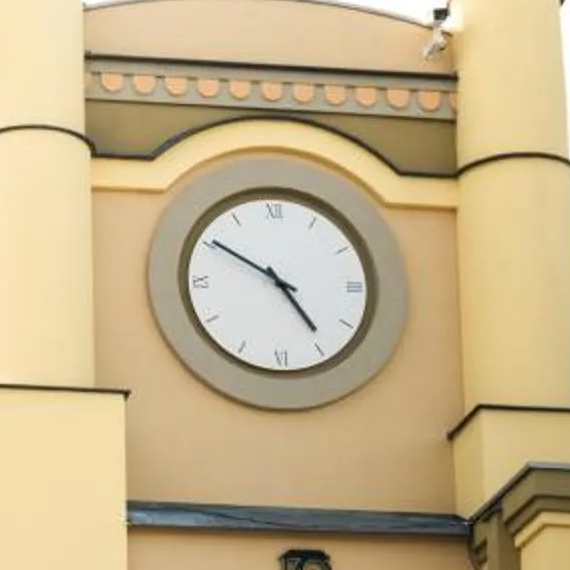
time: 4:50
